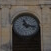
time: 11:16
